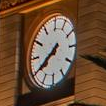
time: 7:39
